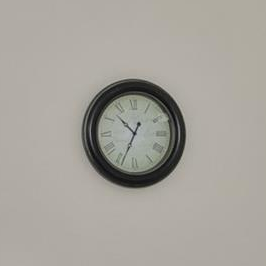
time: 10:34
